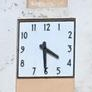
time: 4:30
